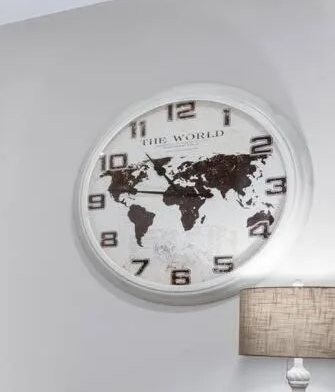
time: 10:47
